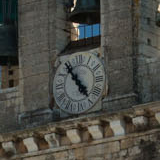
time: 4:54
